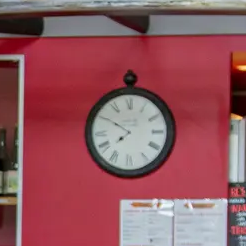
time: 7:49
